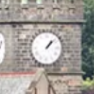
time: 1:07
